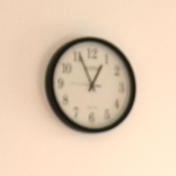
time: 12:55
